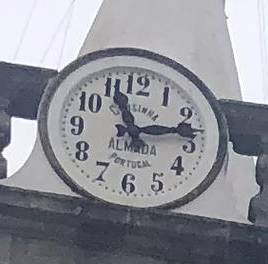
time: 11:12
